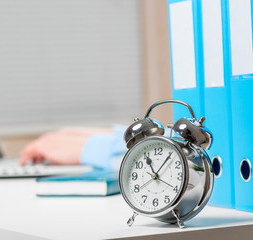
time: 11:06
